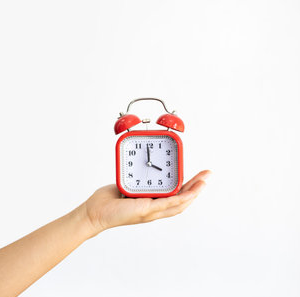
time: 3:59
